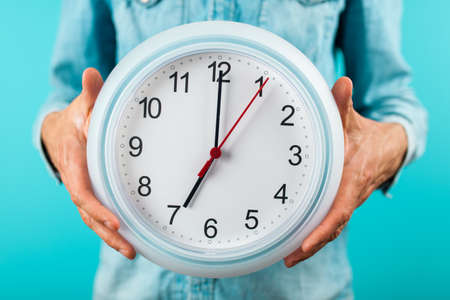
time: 7:00
